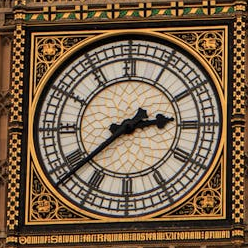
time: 2:38
